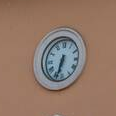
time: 6:32
